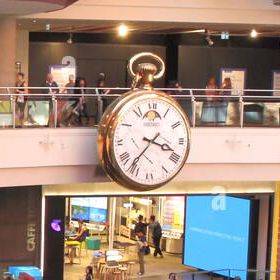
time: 3:36
